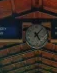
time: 5:06
